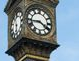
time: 3:43
